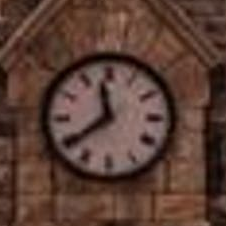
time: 11:39
